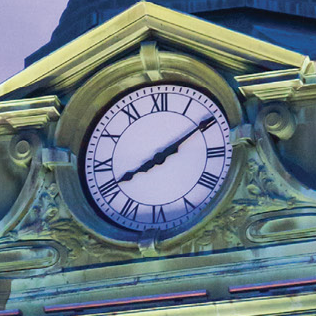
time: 8:09
